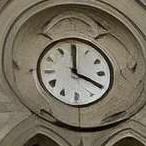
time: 4:00
